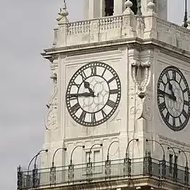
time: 10:45
